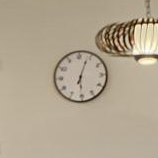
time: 6:03
